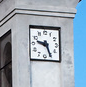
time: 9:25
